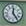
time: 12:24
